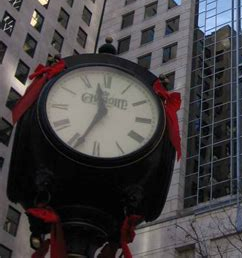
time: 11:34
